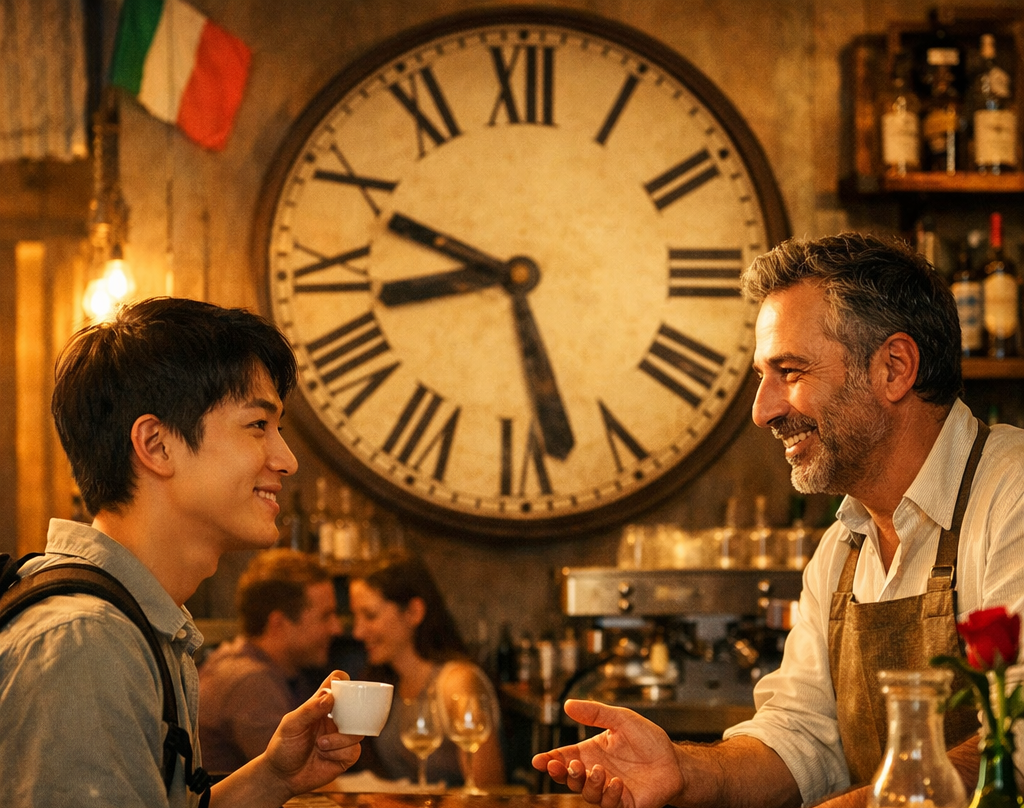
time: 8:27
